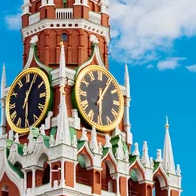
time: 6:06
